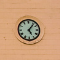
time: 5:06
